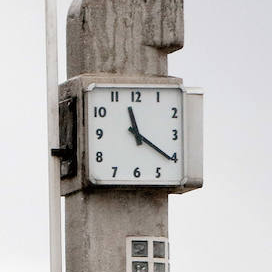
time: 11:20
